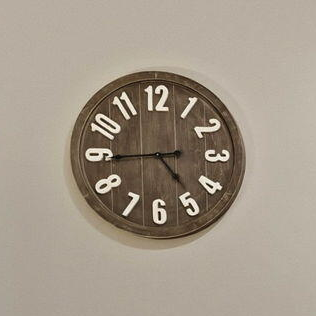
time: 4:44
